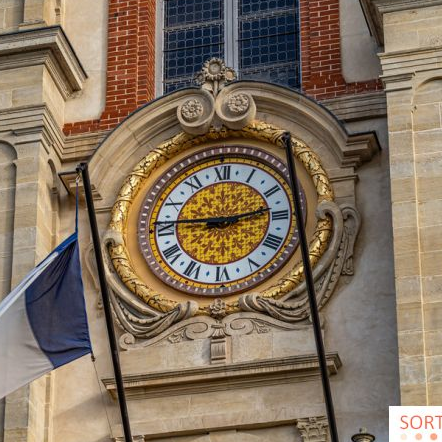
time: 2:46
